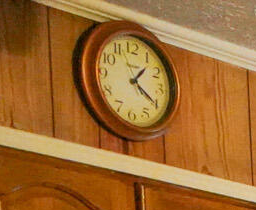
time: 1:20
